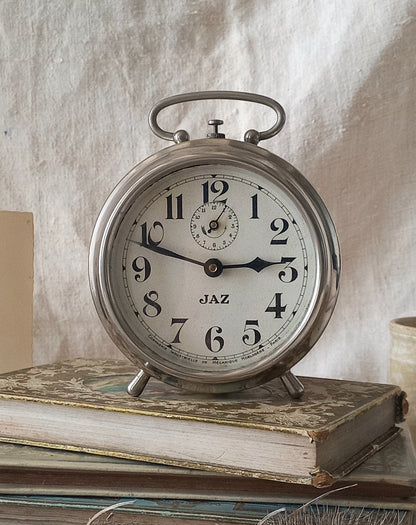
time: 2:48
